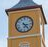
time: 3:23
